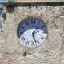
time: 1:27
